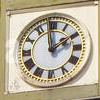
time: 1:59
